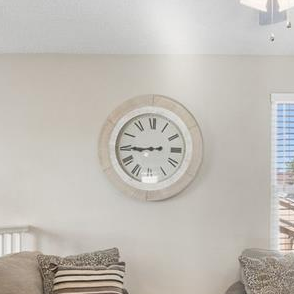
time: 8:44
